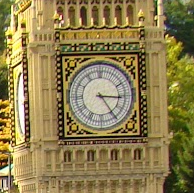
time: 3:24
